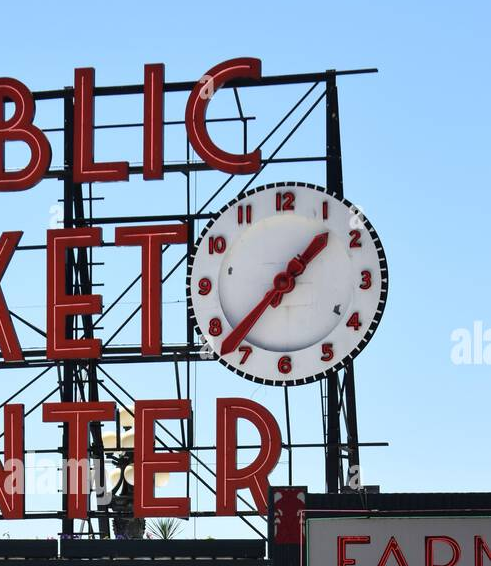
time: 1:37
